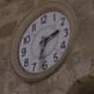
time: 2:33
